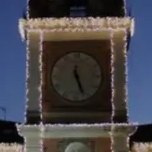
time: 5:26
